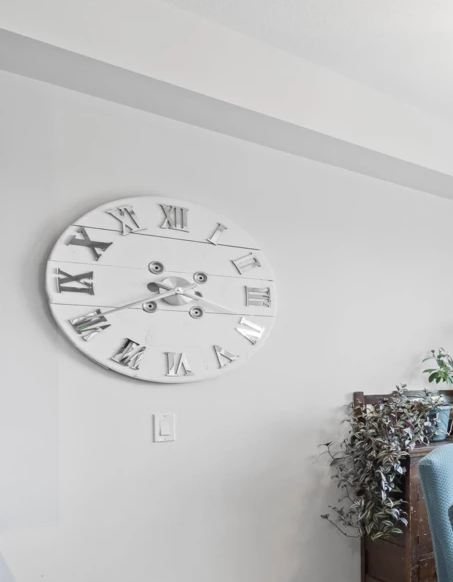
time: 3:40
